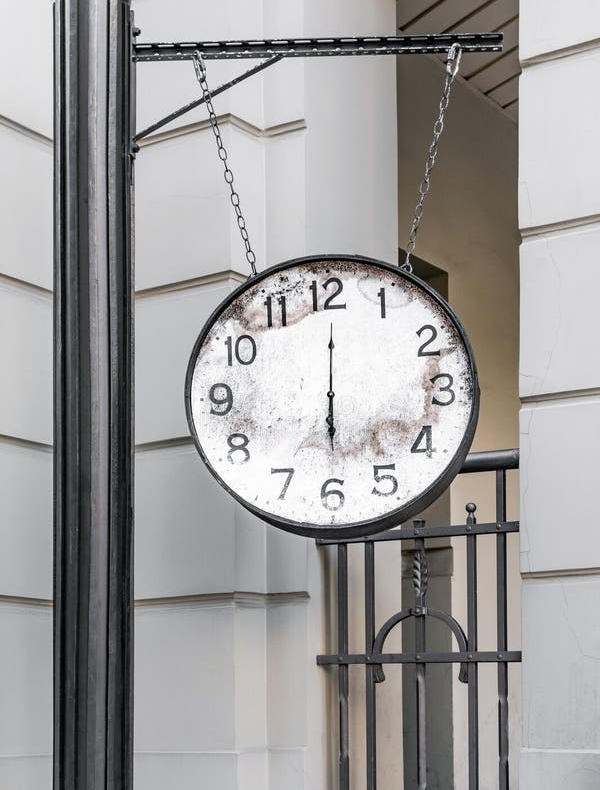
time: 6:00
